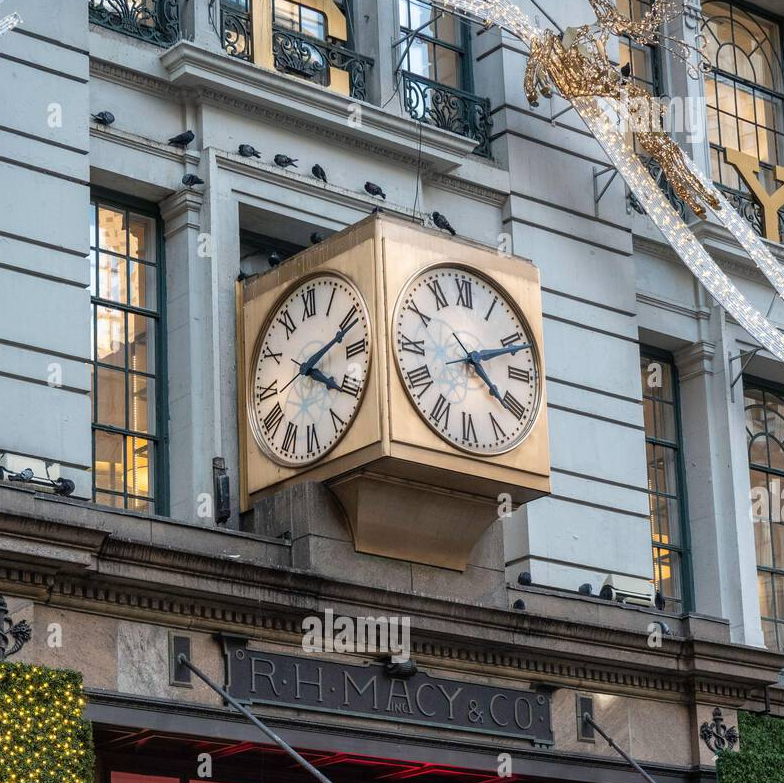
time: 4:10
